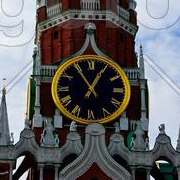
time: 12:54
